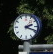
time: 2:18
